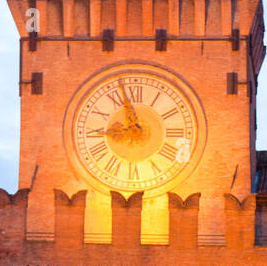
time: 8:57
